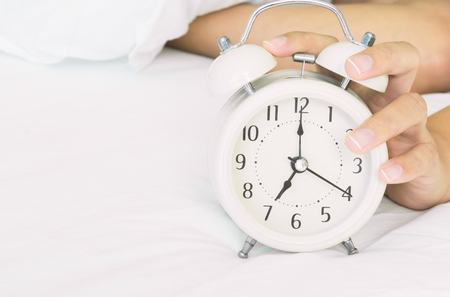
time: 7:00
